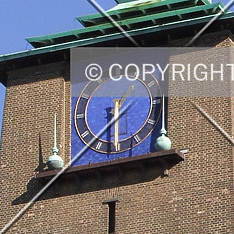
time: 1:29
